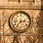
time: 2:36
